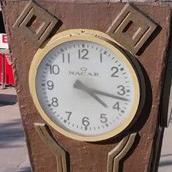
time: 4:17
